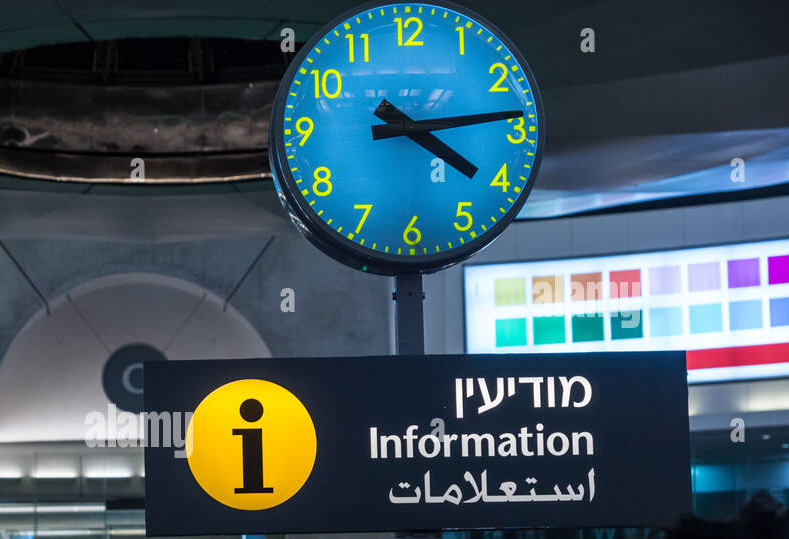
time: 4:13
